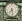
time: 7:28
